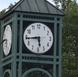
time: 5:44
